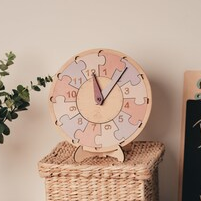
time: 11:06
